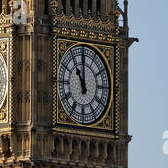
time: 10:59
